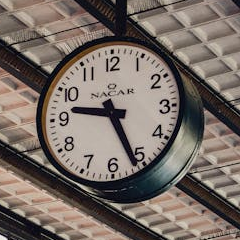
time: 9:26
